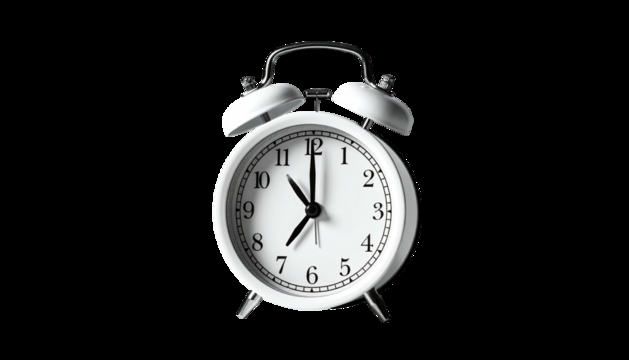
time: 7:00
